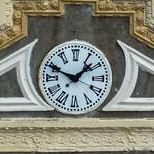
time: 1:49
